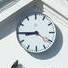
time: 8:45
